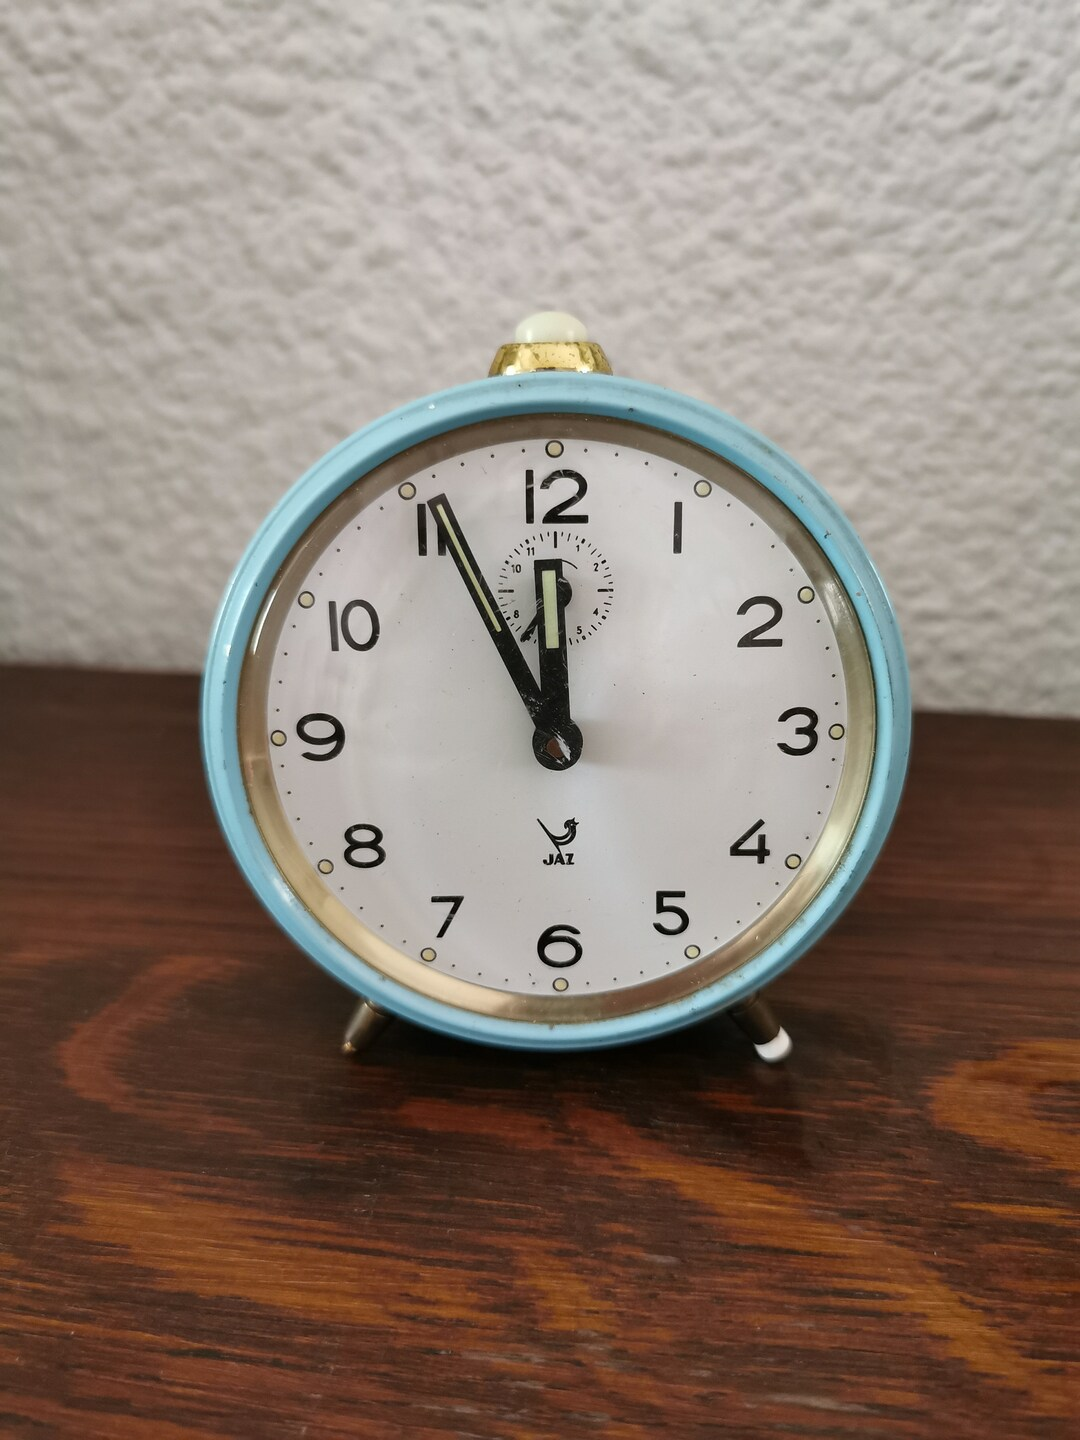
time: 11:55
